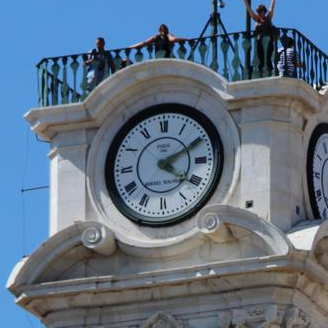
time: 4:10
